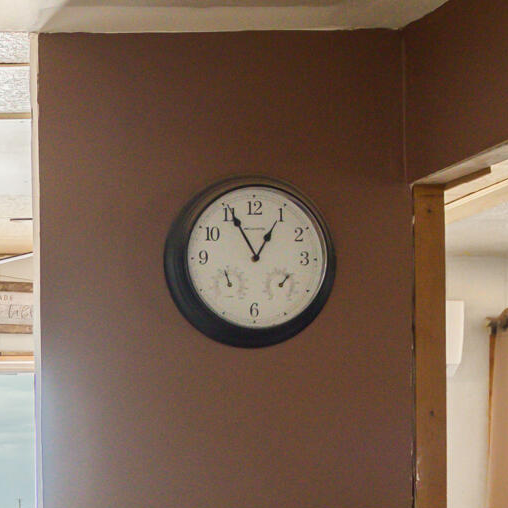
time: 12:55
